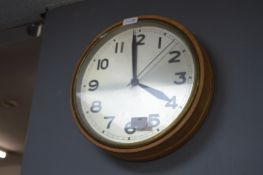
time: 3:58
